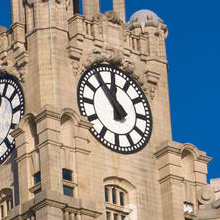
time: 11:53
